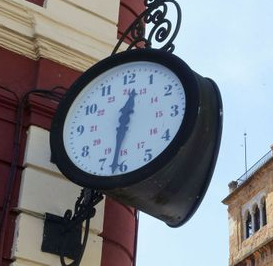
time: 12:31
